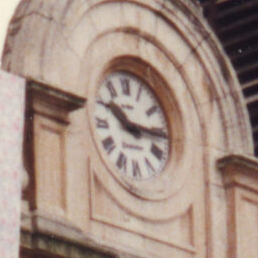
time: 10:15
